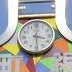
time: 3:29
